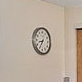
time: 8:34
